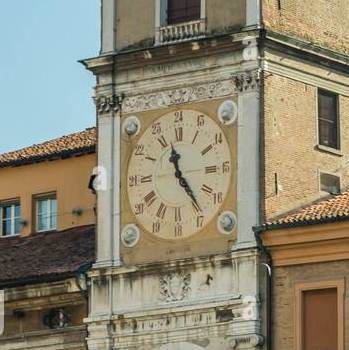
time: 11:23
